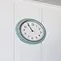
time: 10:55
